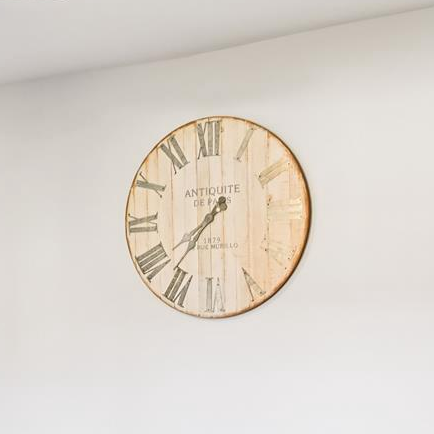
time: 7:36
